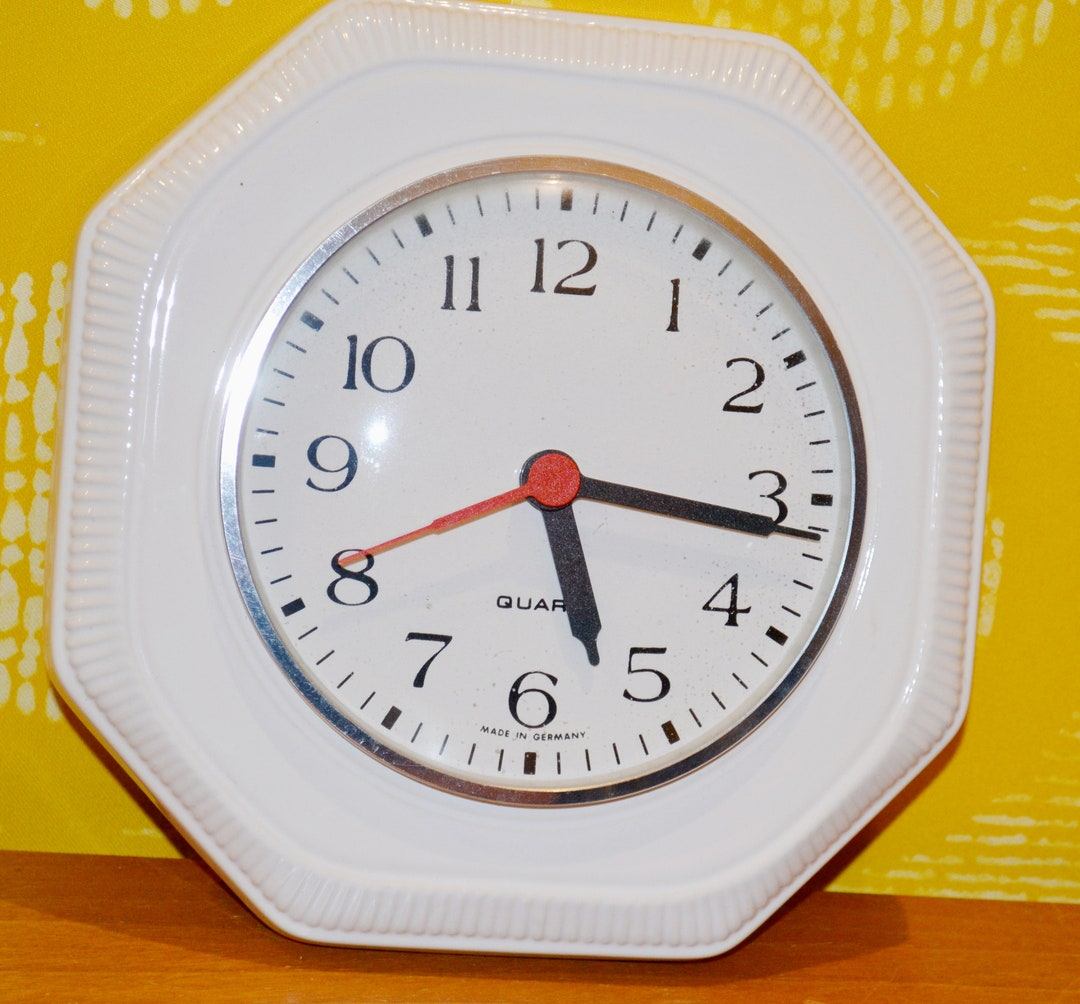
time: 5:16
